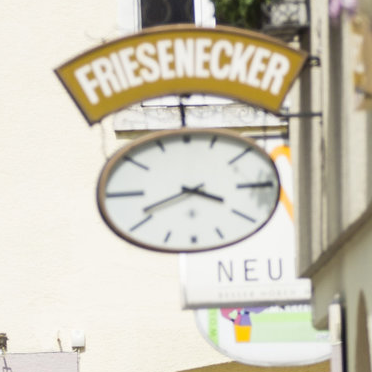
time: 3:40
